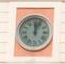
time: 12:03
